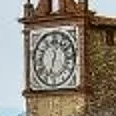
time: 12:32
